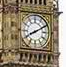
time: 8:10
